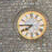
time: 7:44
